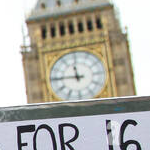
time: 11:45
